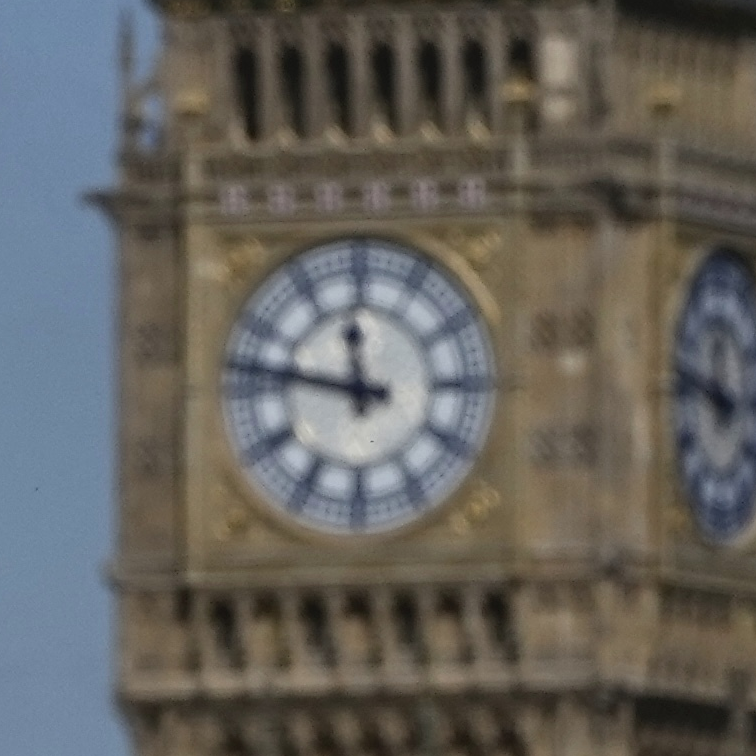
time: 11:46
